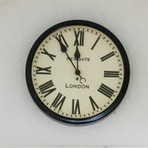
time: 11:54
